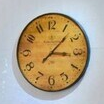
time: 3:07
